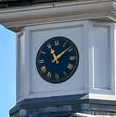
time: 11:08
